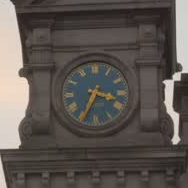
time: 3:34
